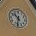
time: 10:32
